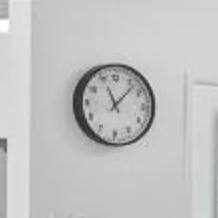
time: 11:07
